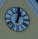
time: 1:02
